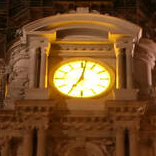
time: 7:01
